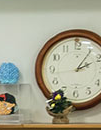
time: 2:06
